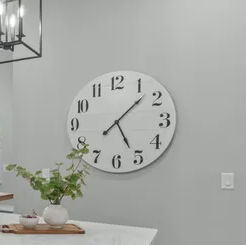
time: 5:07
